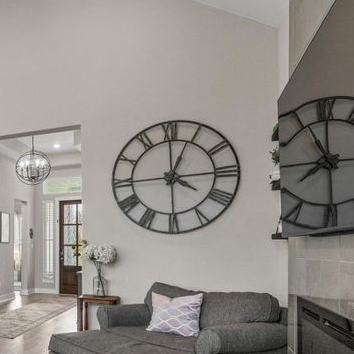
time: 4:04
